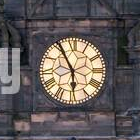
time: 5:55
